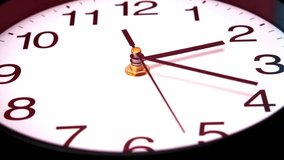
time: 2:18
